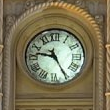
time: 9:25
